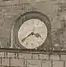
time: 3:40
